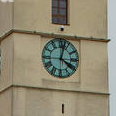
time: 4:02
